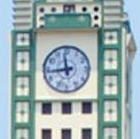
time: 11:43
